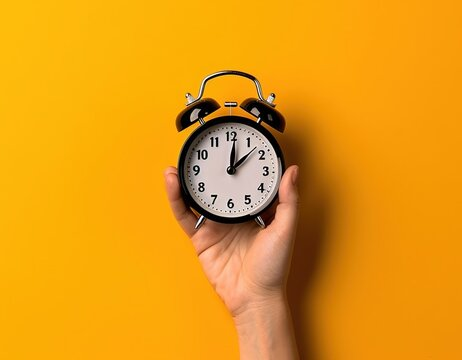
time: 12:07
